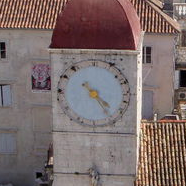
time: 4:24
